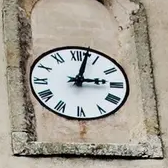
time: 3:02
